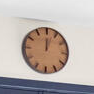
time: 12:03
